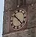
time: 10:22
